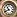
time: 10:41
